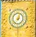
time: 7:03
